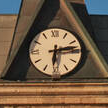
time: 6:13
